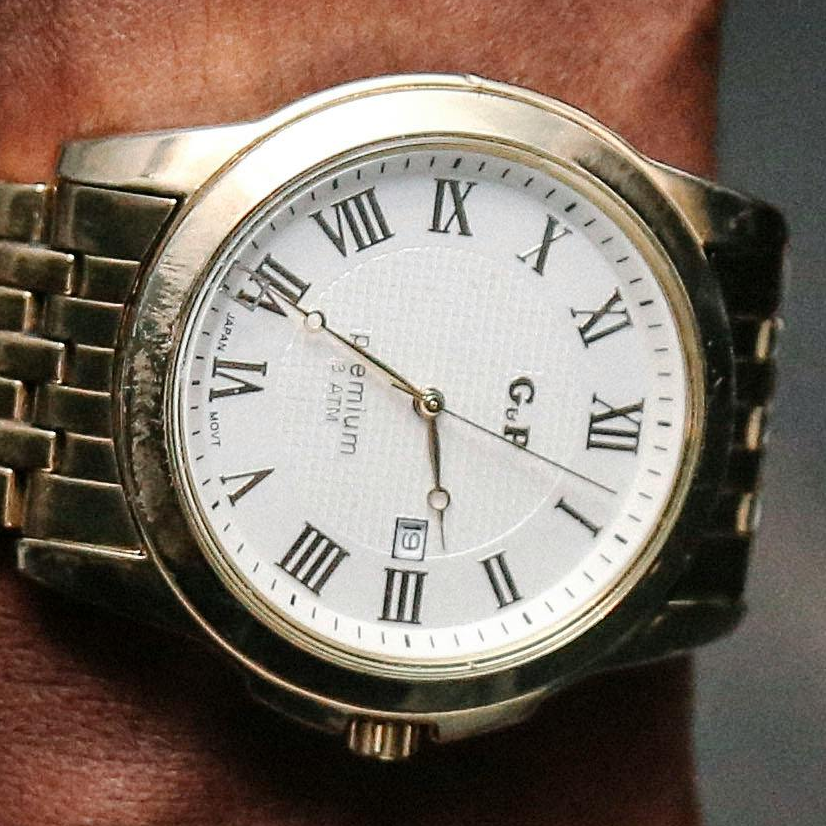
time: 5:49
